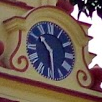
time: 10:28
